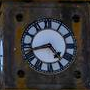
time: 4:42
